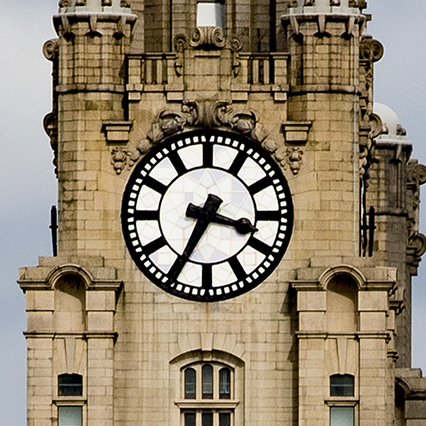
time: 3:34
